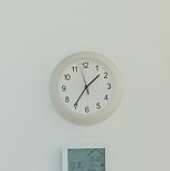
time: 1:35
